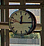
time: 12:14
